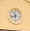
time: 11:42
